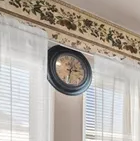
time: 3:02
